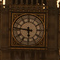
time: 5:46
